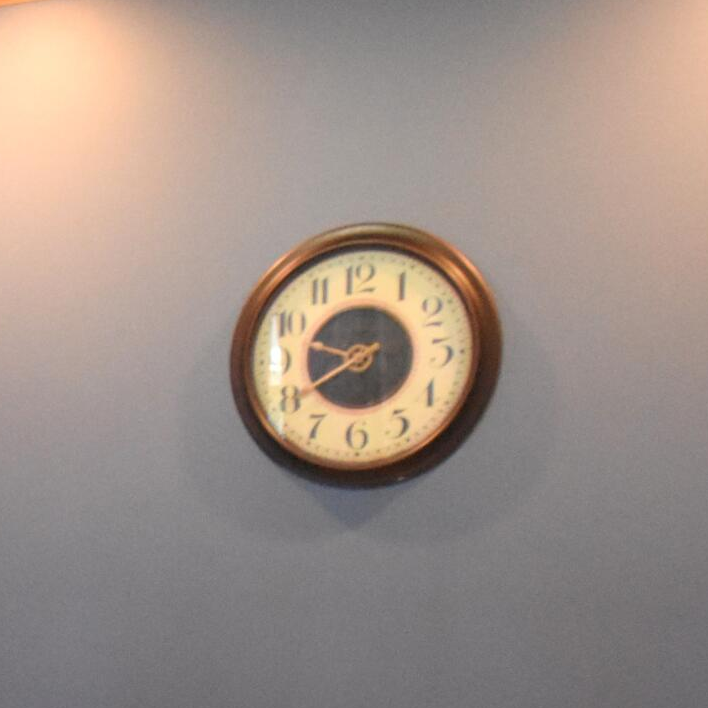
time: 9:39
